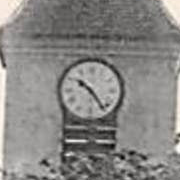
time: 10:23
